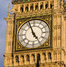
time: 4:56
